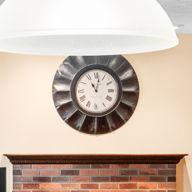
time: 11:02
